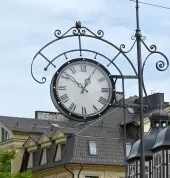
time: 12:51
